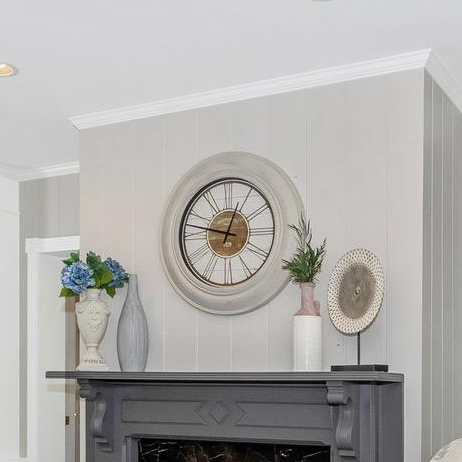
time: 12:47
